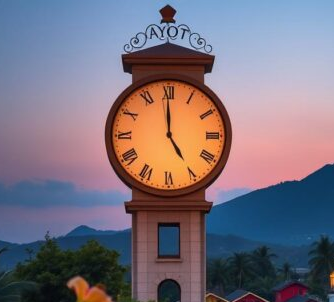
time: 4:59
